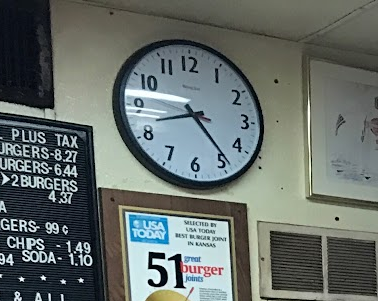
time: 8:23
